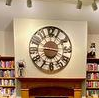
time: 9:17
